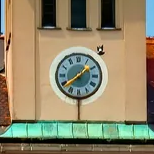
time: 1:39
